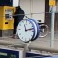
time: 11:12
